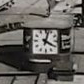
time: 4:02
